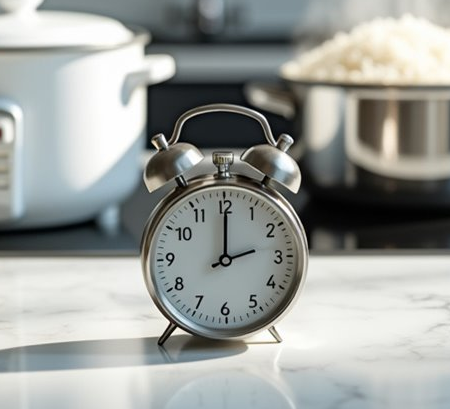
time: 2:00
